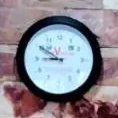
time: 8:49
